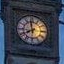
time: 7:58
